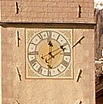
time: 12:09
